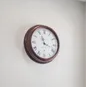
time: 11:18
